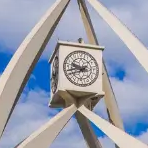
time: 9:42
